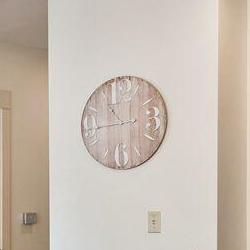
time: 10:43
